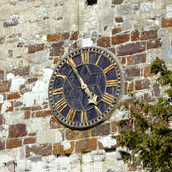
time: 4:55
